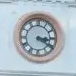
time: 3:20
